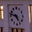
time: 4:47
